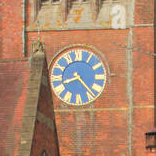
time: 8:22
